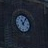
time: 11:05
